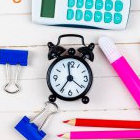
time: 11:35
